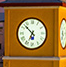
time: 6:52
